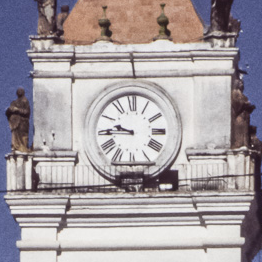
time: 9:45
